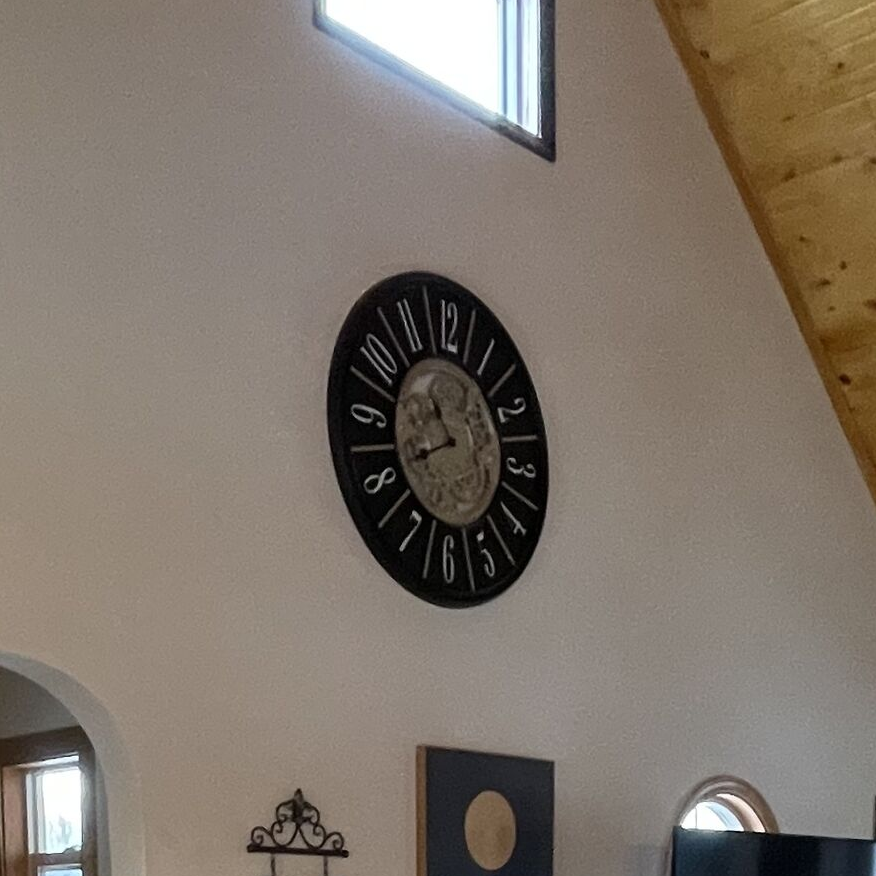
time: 10:41
